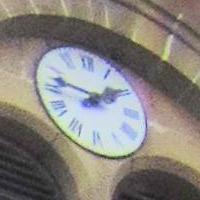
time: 1:47
